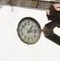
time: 1:13
